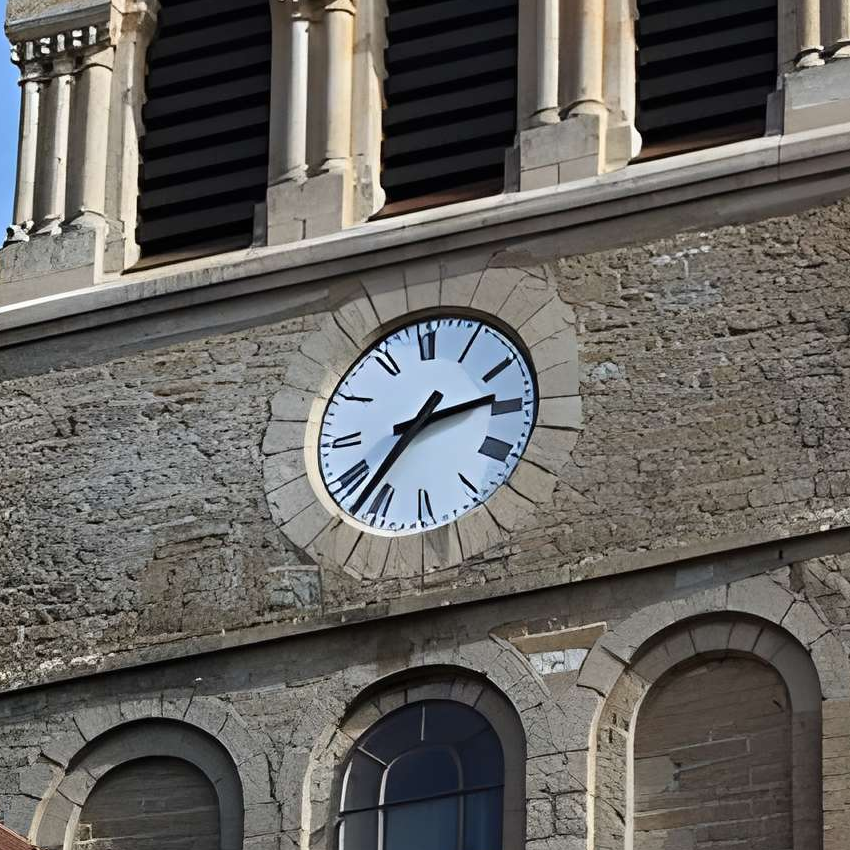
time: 2:36
